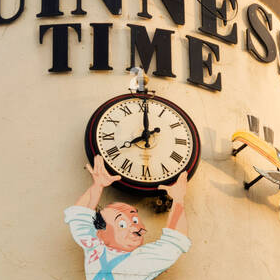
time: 8:00
